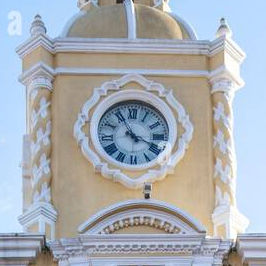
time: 3:56
